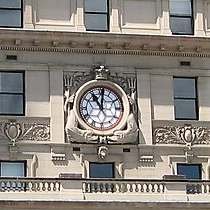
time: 11:01
